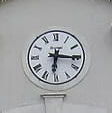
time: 6:15
